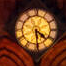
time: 4:29
